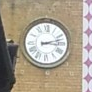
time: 3:12
